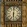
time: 6:00
